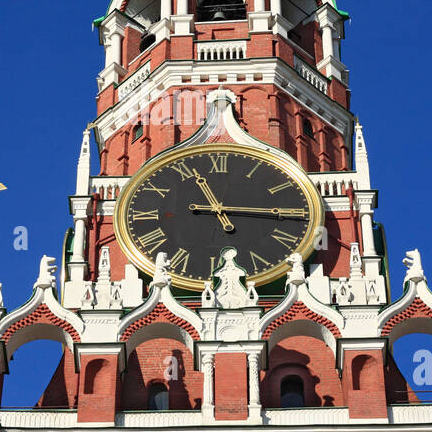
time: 11:16
